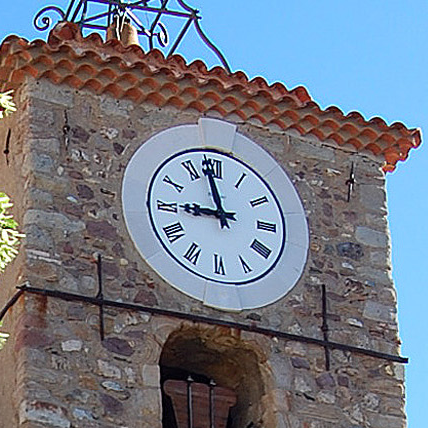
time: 8:58
